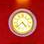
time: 4:38
